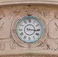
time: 3:16
